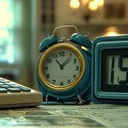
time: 11:07
